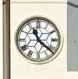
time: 11:21
